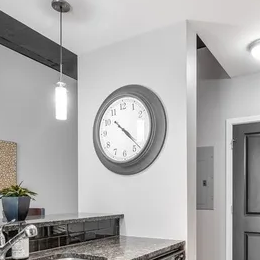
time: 4:22
